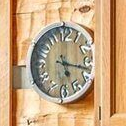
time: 5:17
